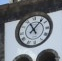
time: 11:07
